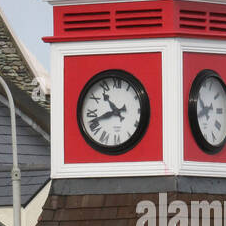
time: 10:42
